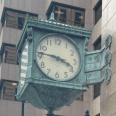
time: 3:46
